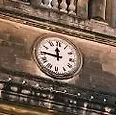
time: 11:45
